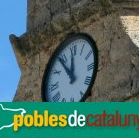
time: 11:53
